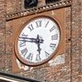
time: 5:47
